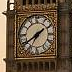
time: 1:39
